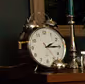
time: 2:15
